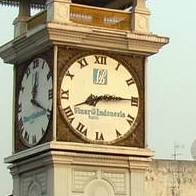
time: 8:14
